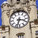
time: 3:32
